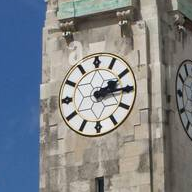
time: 2:14
